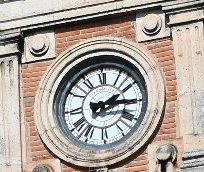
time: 2:15
